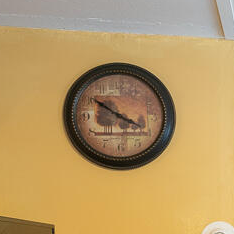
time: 3:50
